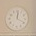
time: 12:19
